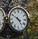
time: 4:49
